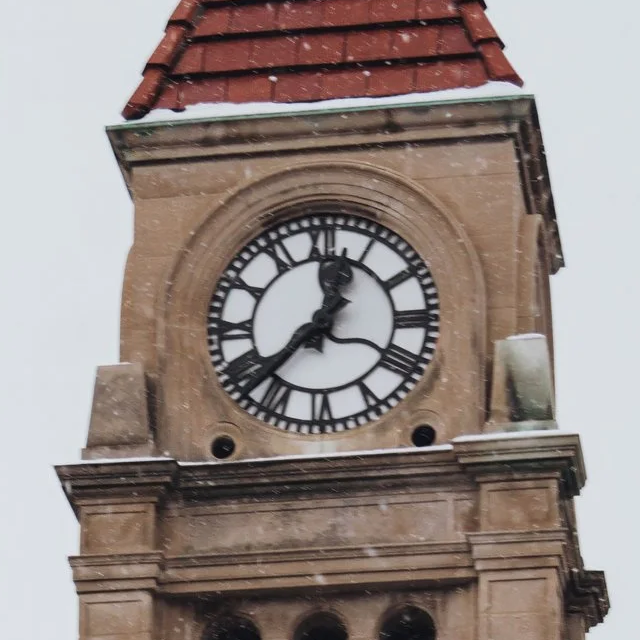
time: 12:37
